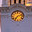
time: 7:12
